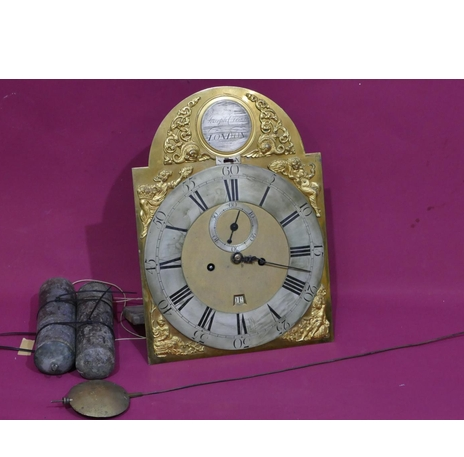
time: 12:17
